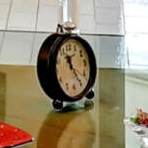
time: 11:24
